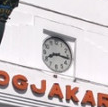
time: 8:16
